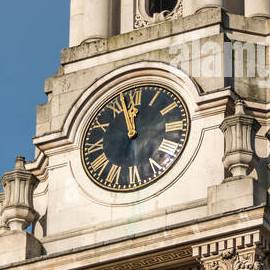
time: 11:57
